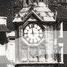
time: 2:58
